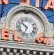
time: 10:33
